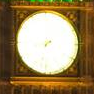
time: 8:32
